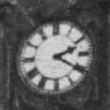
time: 2:20
